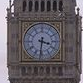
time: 3:31
